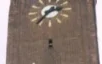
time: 2:36
